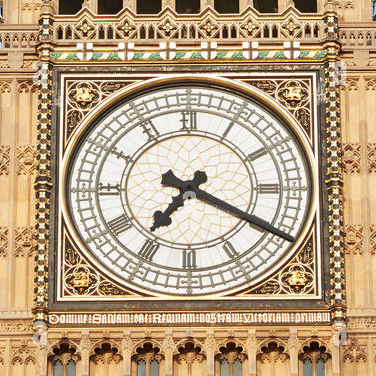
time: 7:19
